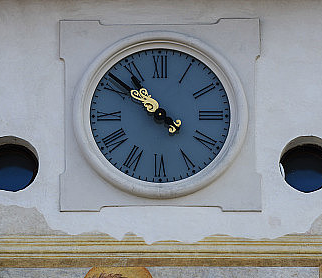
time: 10:51
